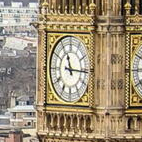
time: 11:15
